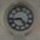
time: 4:43
